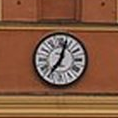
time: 7:03
